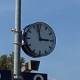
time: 2:57
